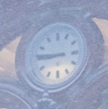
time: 8:45
